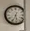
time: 5:33
